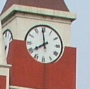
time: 7:59
